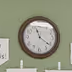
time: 11:21
